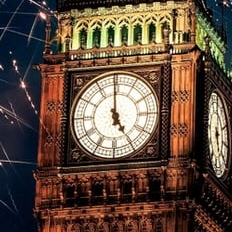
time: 4:59
